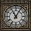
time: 11:05
